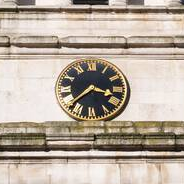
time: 3:37
